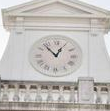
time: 12:53
